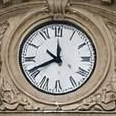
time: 11:41
